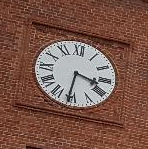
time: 3:31
